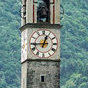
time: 12:44
